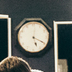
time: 5:19
